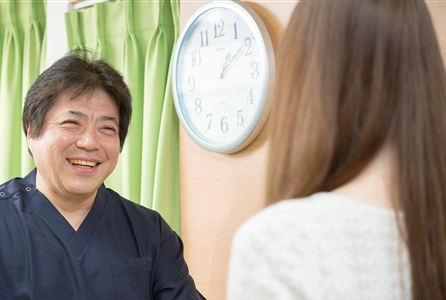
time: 1:09
